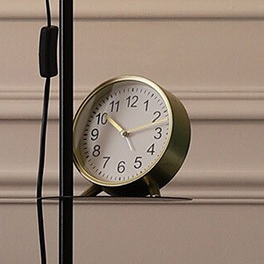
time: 10:12
